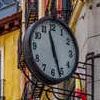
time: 11:26
